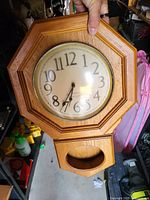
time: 6:35
